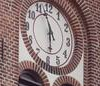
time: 5:57
